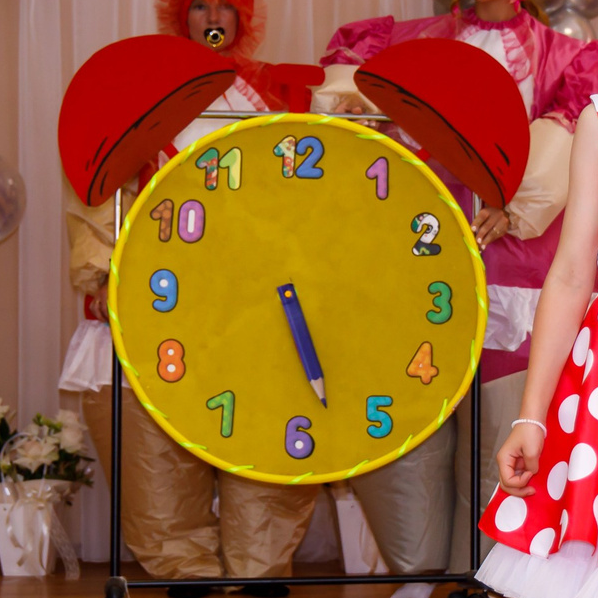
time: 5:27
